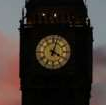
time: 4:02
